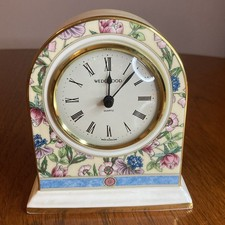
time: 12:06
